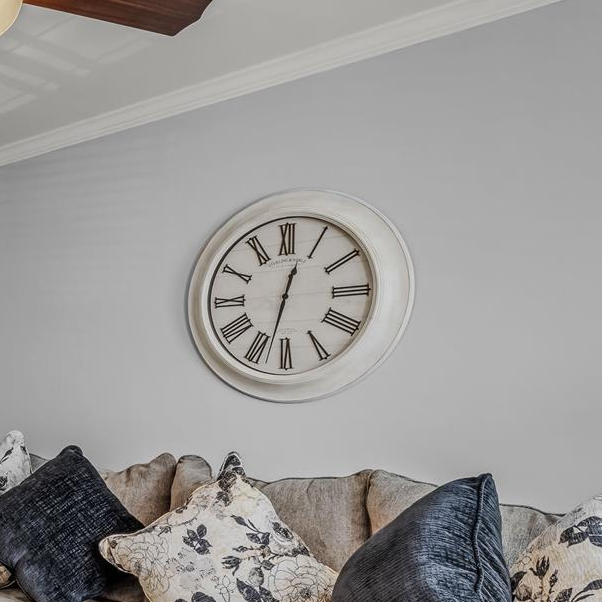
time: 12:32
